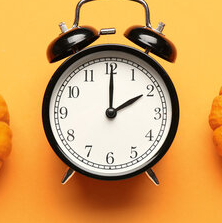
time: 2:00
